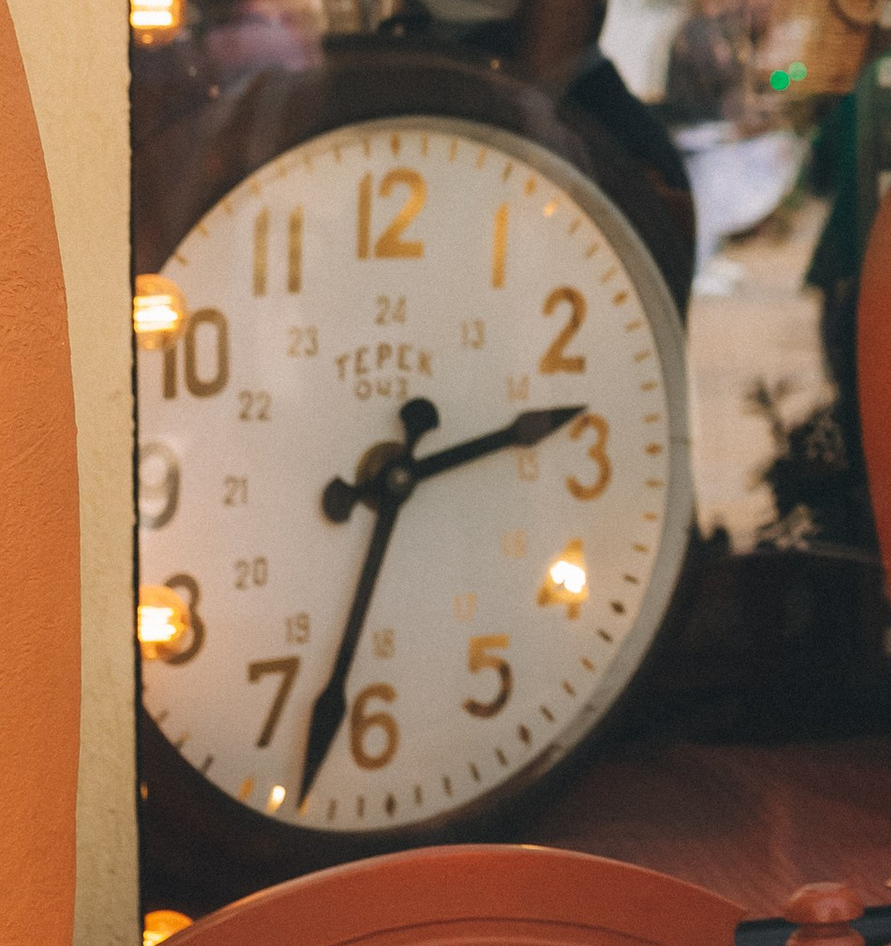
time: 2:33
